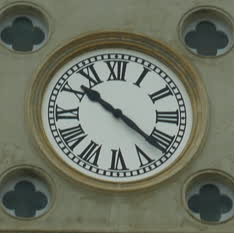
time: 10:21
